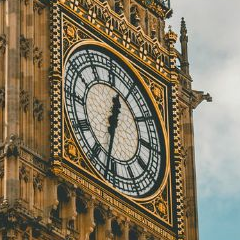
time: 12:32
